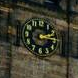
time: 2:15
